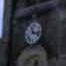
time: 11:17
